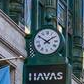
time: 1:50
